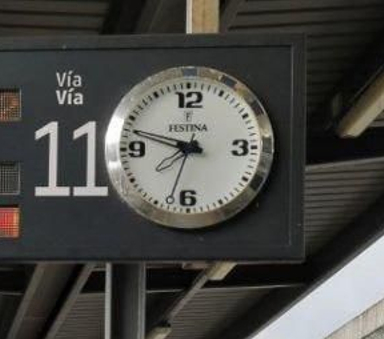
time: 9:33
